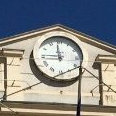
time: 11:45
